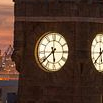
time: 5:38
